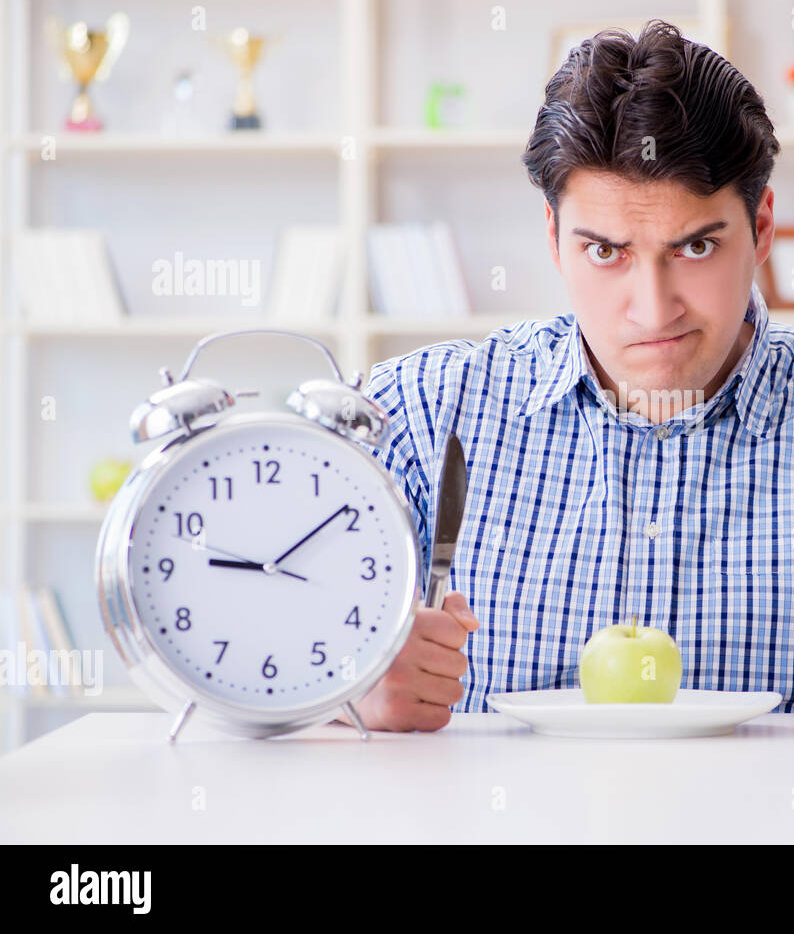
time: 9:09
